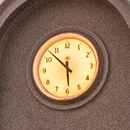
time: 5:52
